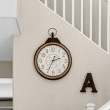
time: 2:34
